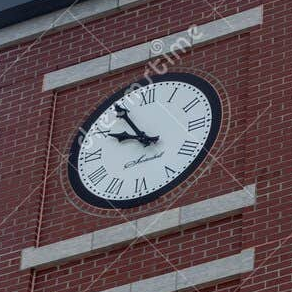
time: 9:54
